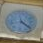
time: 4:21
